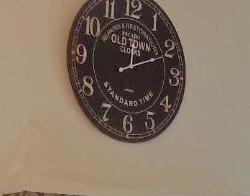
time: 12:10
